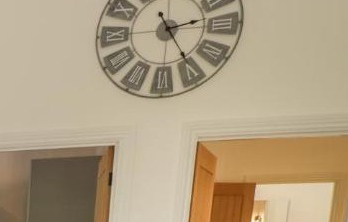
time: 2:24
